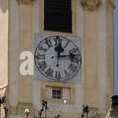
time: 12:13
